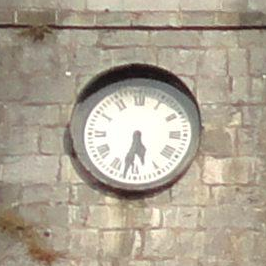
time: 5:32
